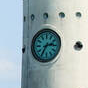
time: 2:35
